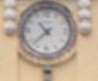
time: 10:37
